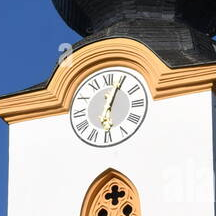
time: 6:04
